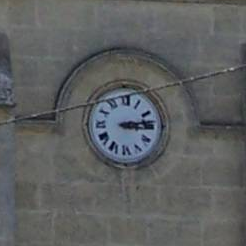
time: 3:13
